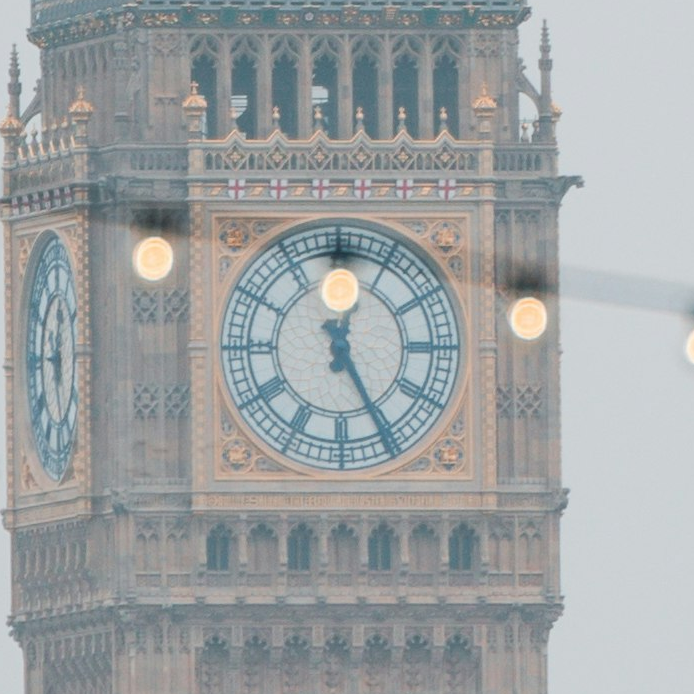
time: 12:25
